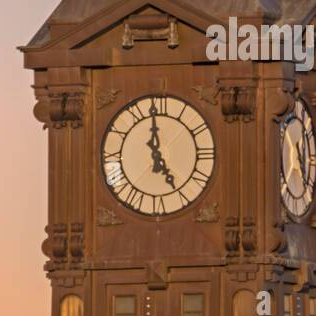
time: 4:59
